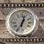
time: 1:02
